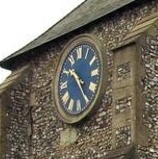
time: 10:24
